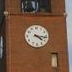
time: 4:16
